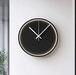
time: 11:07
